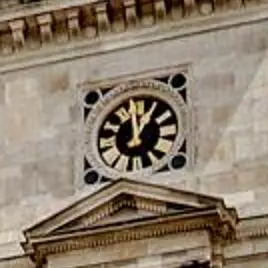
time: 12:05
